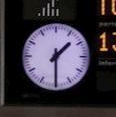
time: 1:29
